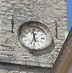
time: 11:32
